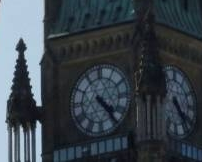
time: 4:23
